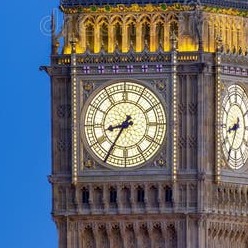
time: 8:35
